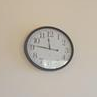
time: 11:46
